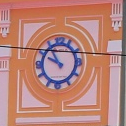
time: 9:55
